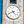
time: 4:41
